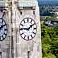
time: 1:46
